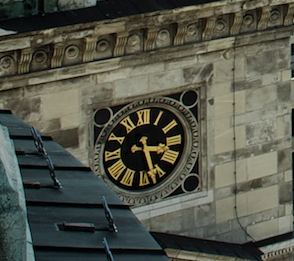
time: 3:27
